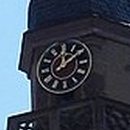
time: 12:09
